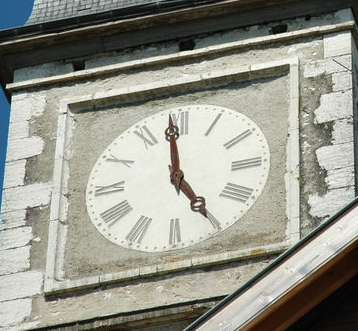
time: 4:59
